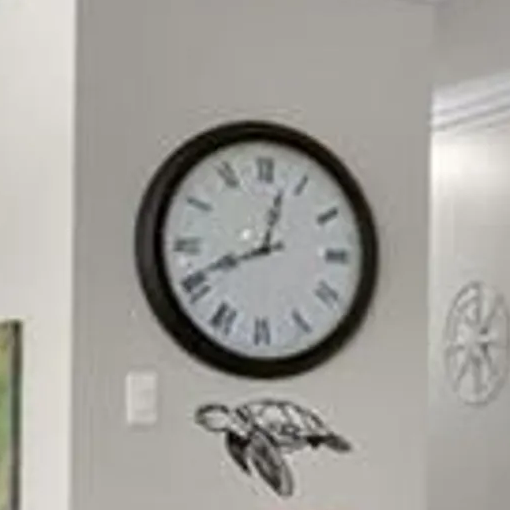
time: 12:41
